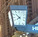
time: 7:52
